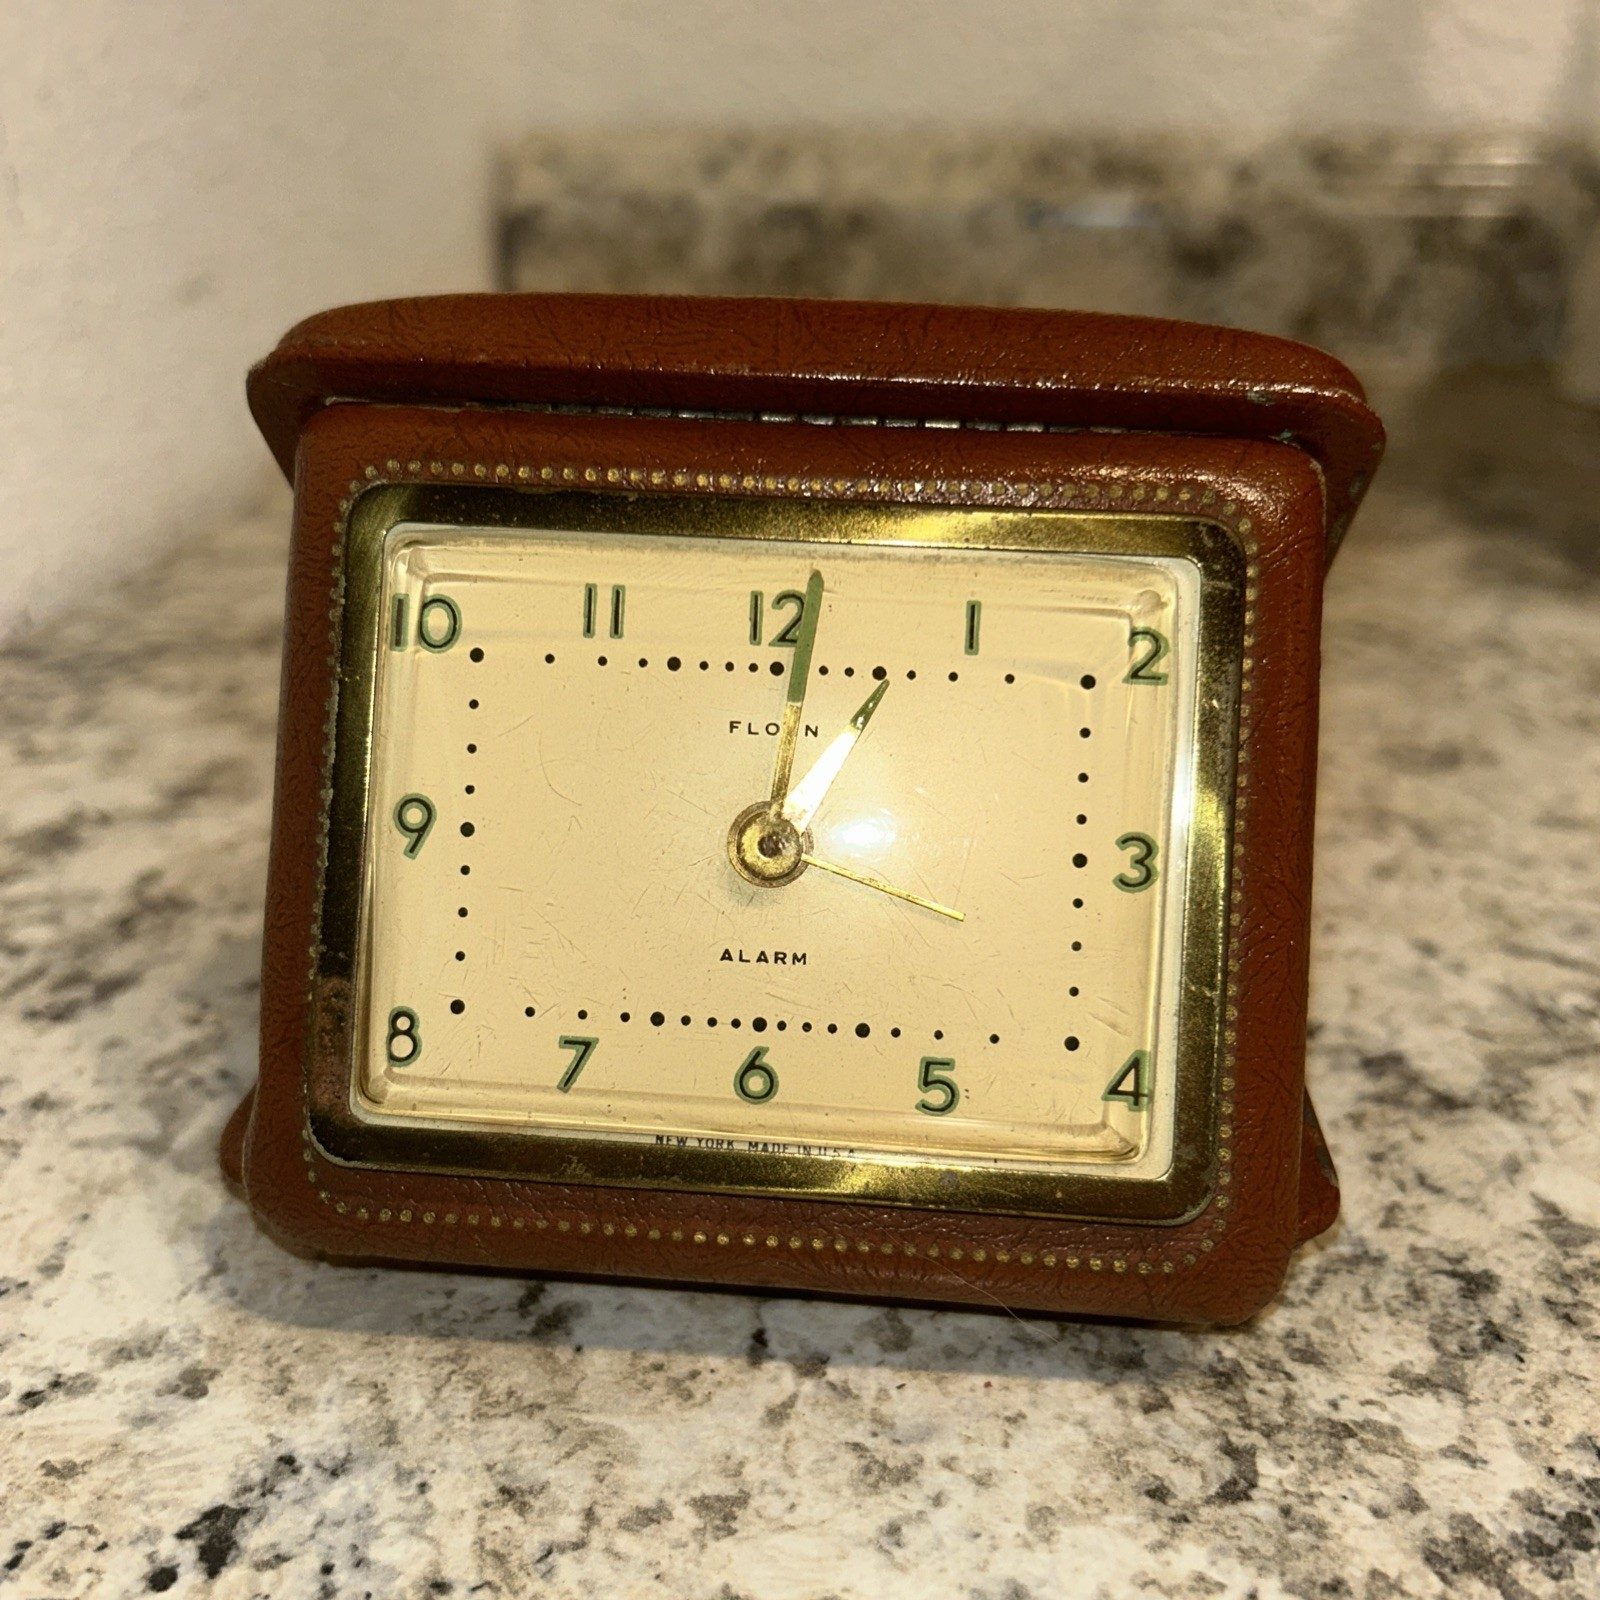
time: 1:01
